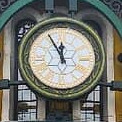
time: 11:55
